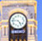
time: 4:46
